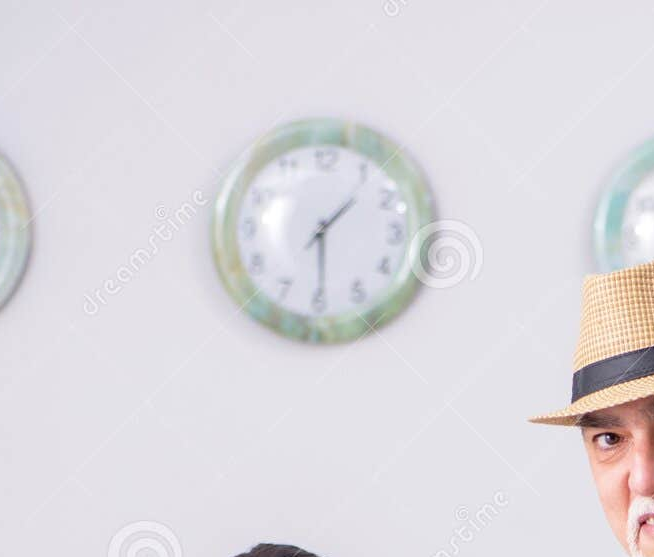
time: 1:29
